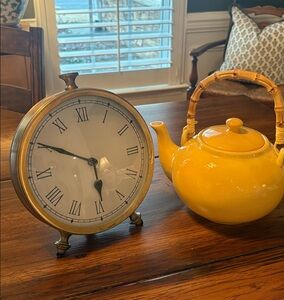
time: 5:50
